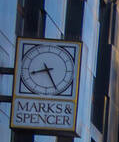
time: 8:25
